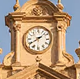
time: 1:39
